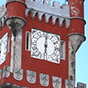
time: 6:00
